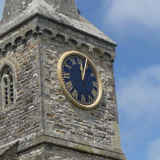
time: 12:03
